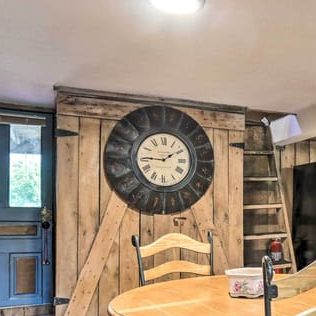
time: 9:10
